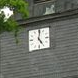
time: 5:01
